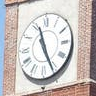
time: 11:25
